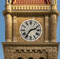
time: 2:36
